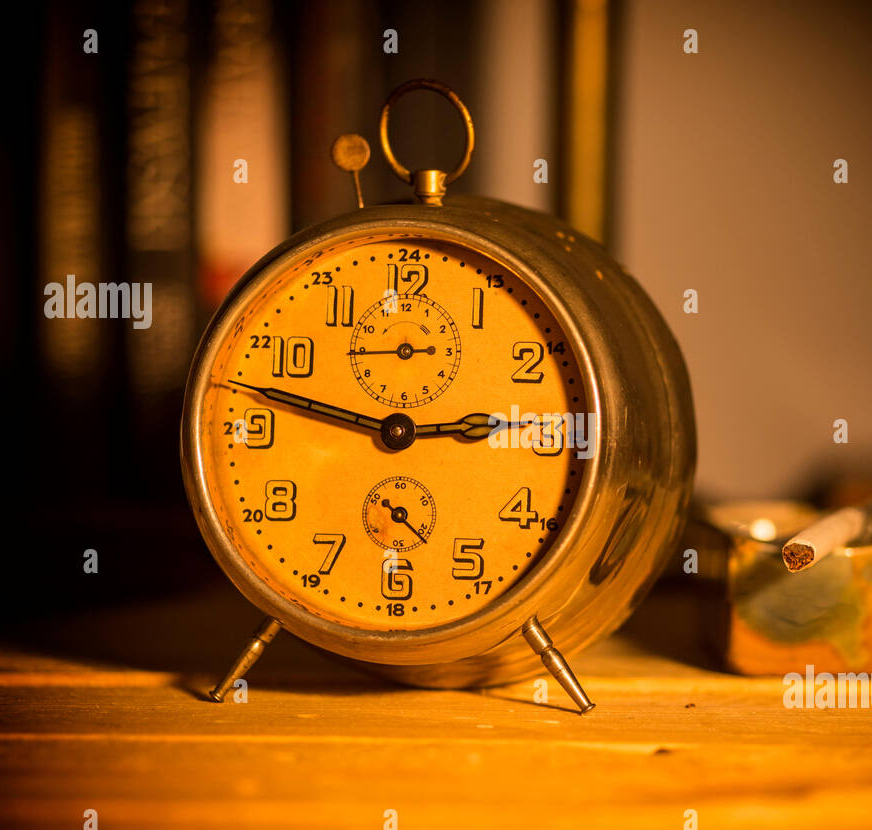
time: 2:47
